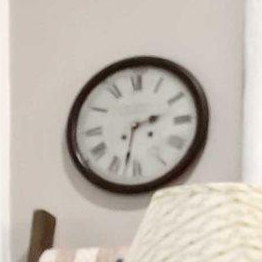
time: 2:32
